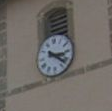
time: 3:21
